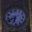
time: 6:41
